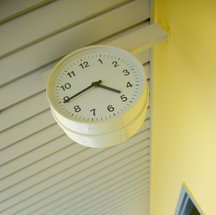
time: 4:44
